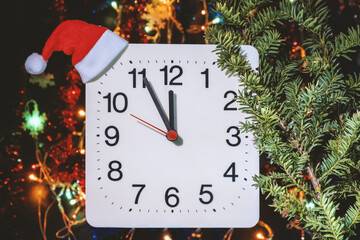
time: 11:55
